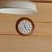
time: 11:25
